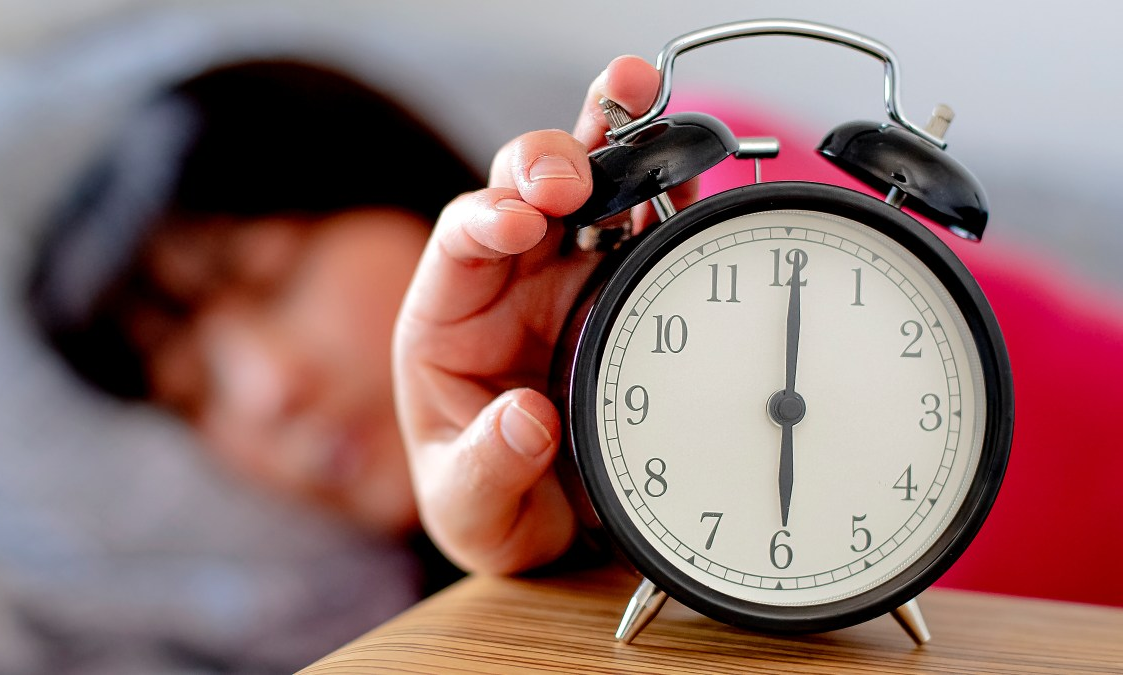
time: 6:00
